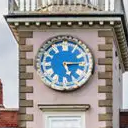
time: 5:14
